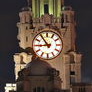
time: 8:53
